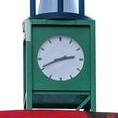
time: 2:41
